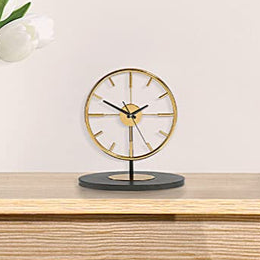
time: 1:50
